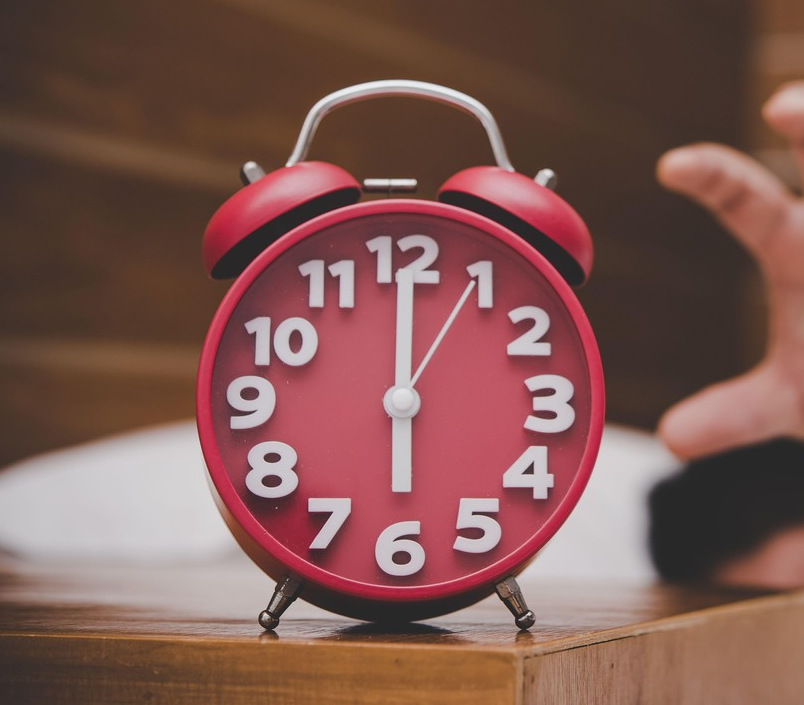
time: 6:00
